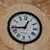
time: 12:43
